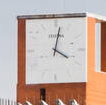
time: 4:02
